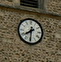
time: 7:30
